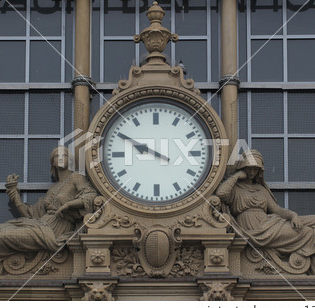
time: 9:50
